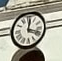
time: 12:18
